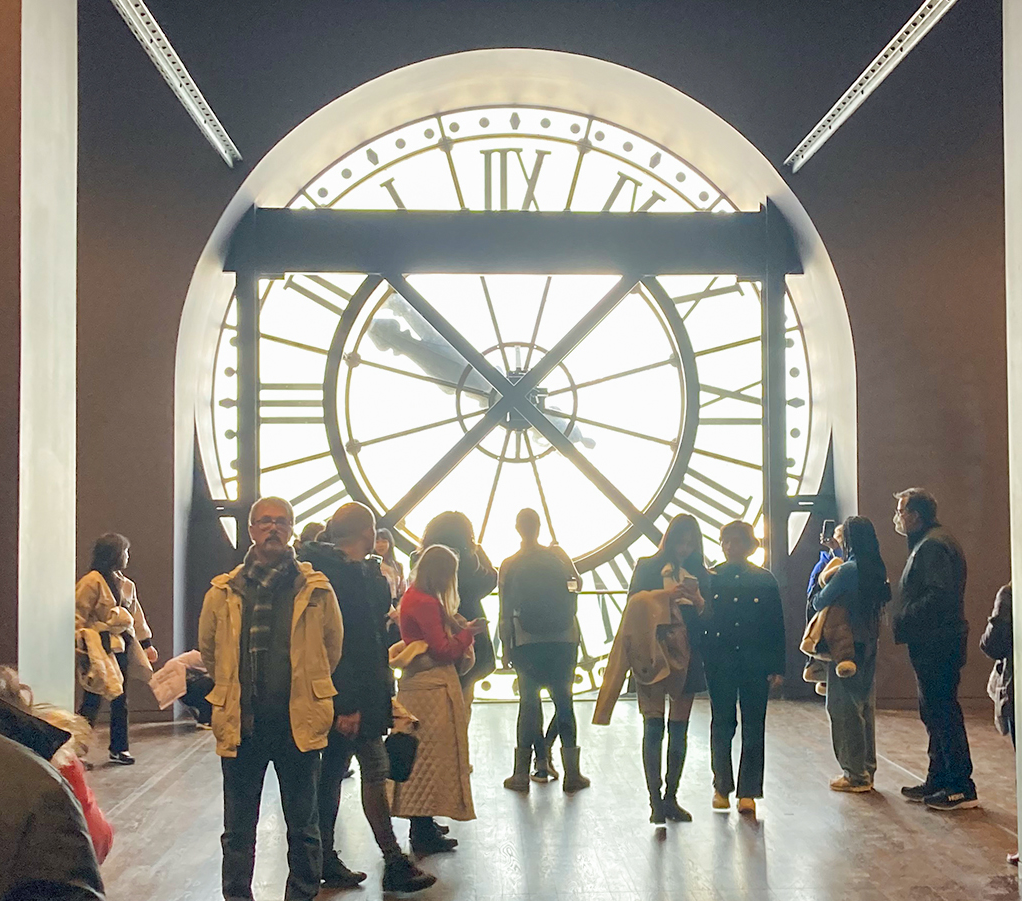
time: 10:07
